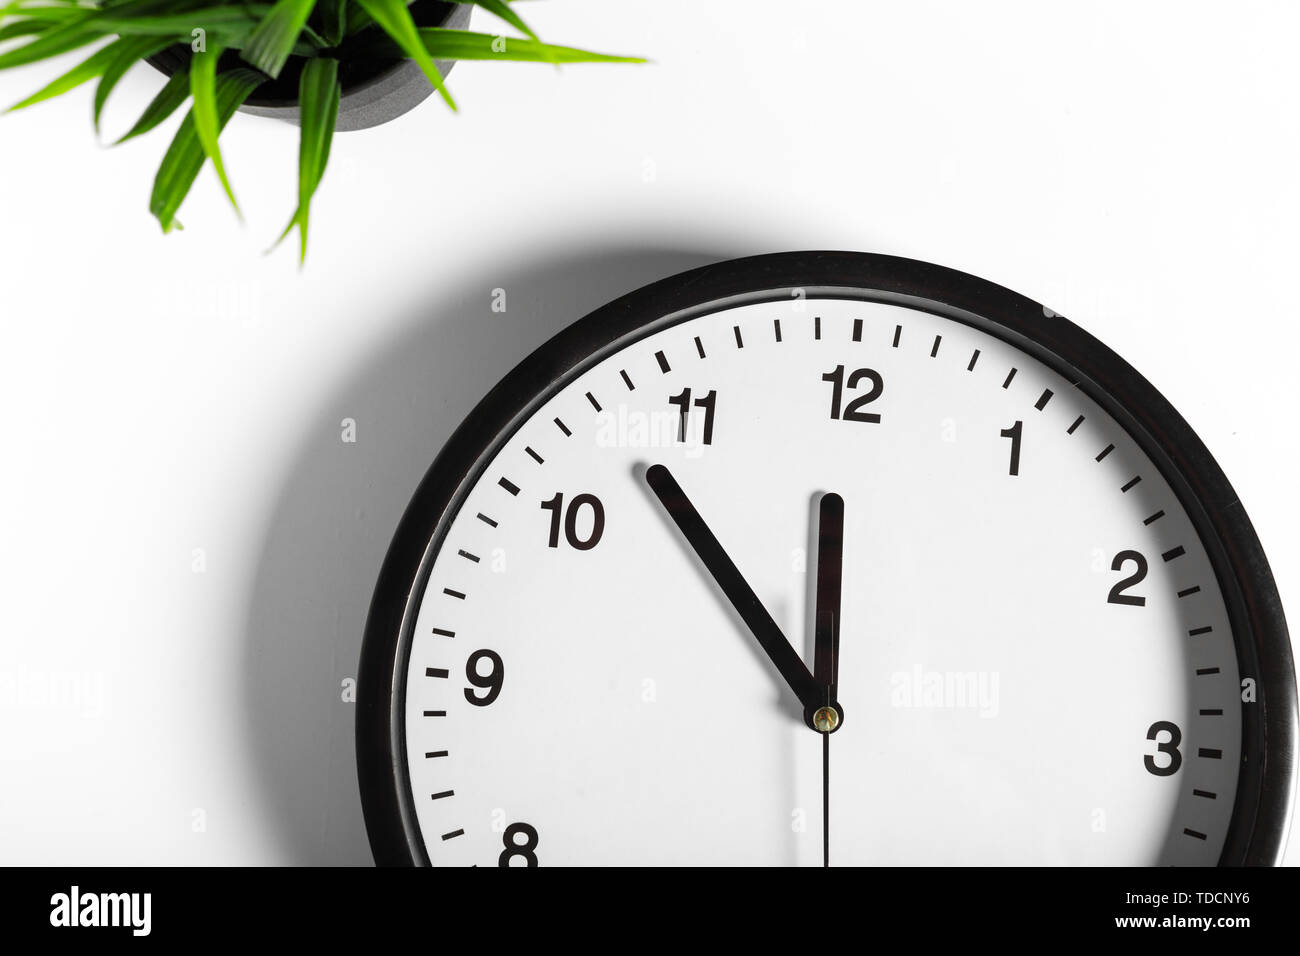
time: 11:52
